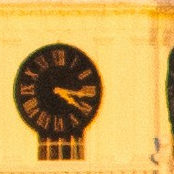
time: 3:20
